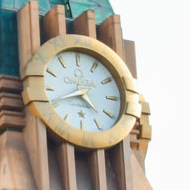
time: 4:40
